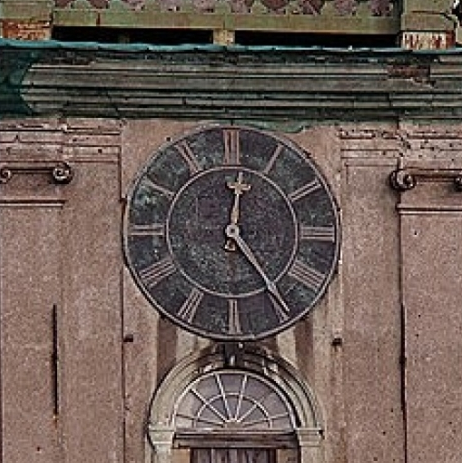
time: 12:23
